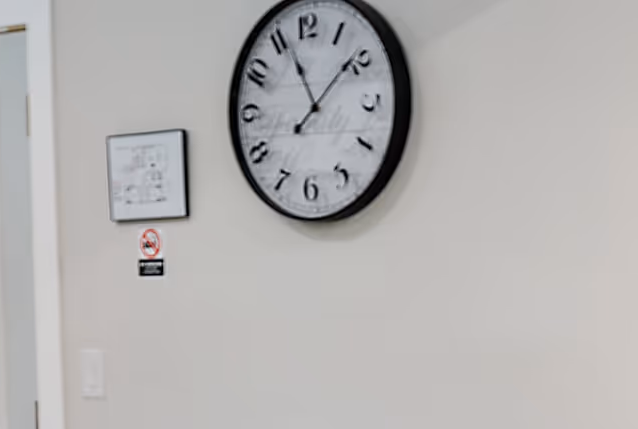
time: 11:08
